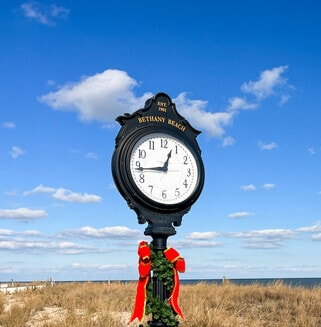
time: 12:43
